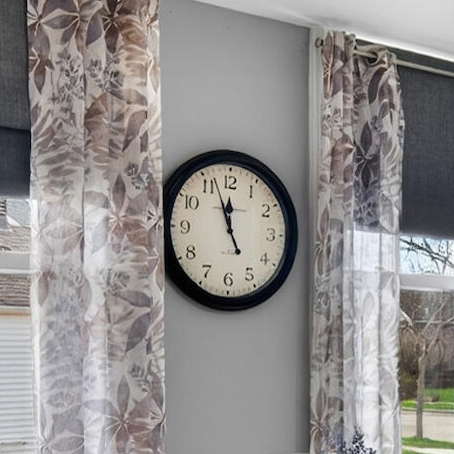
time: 11:56
